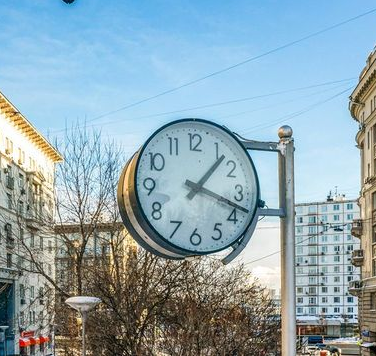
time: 1:18
